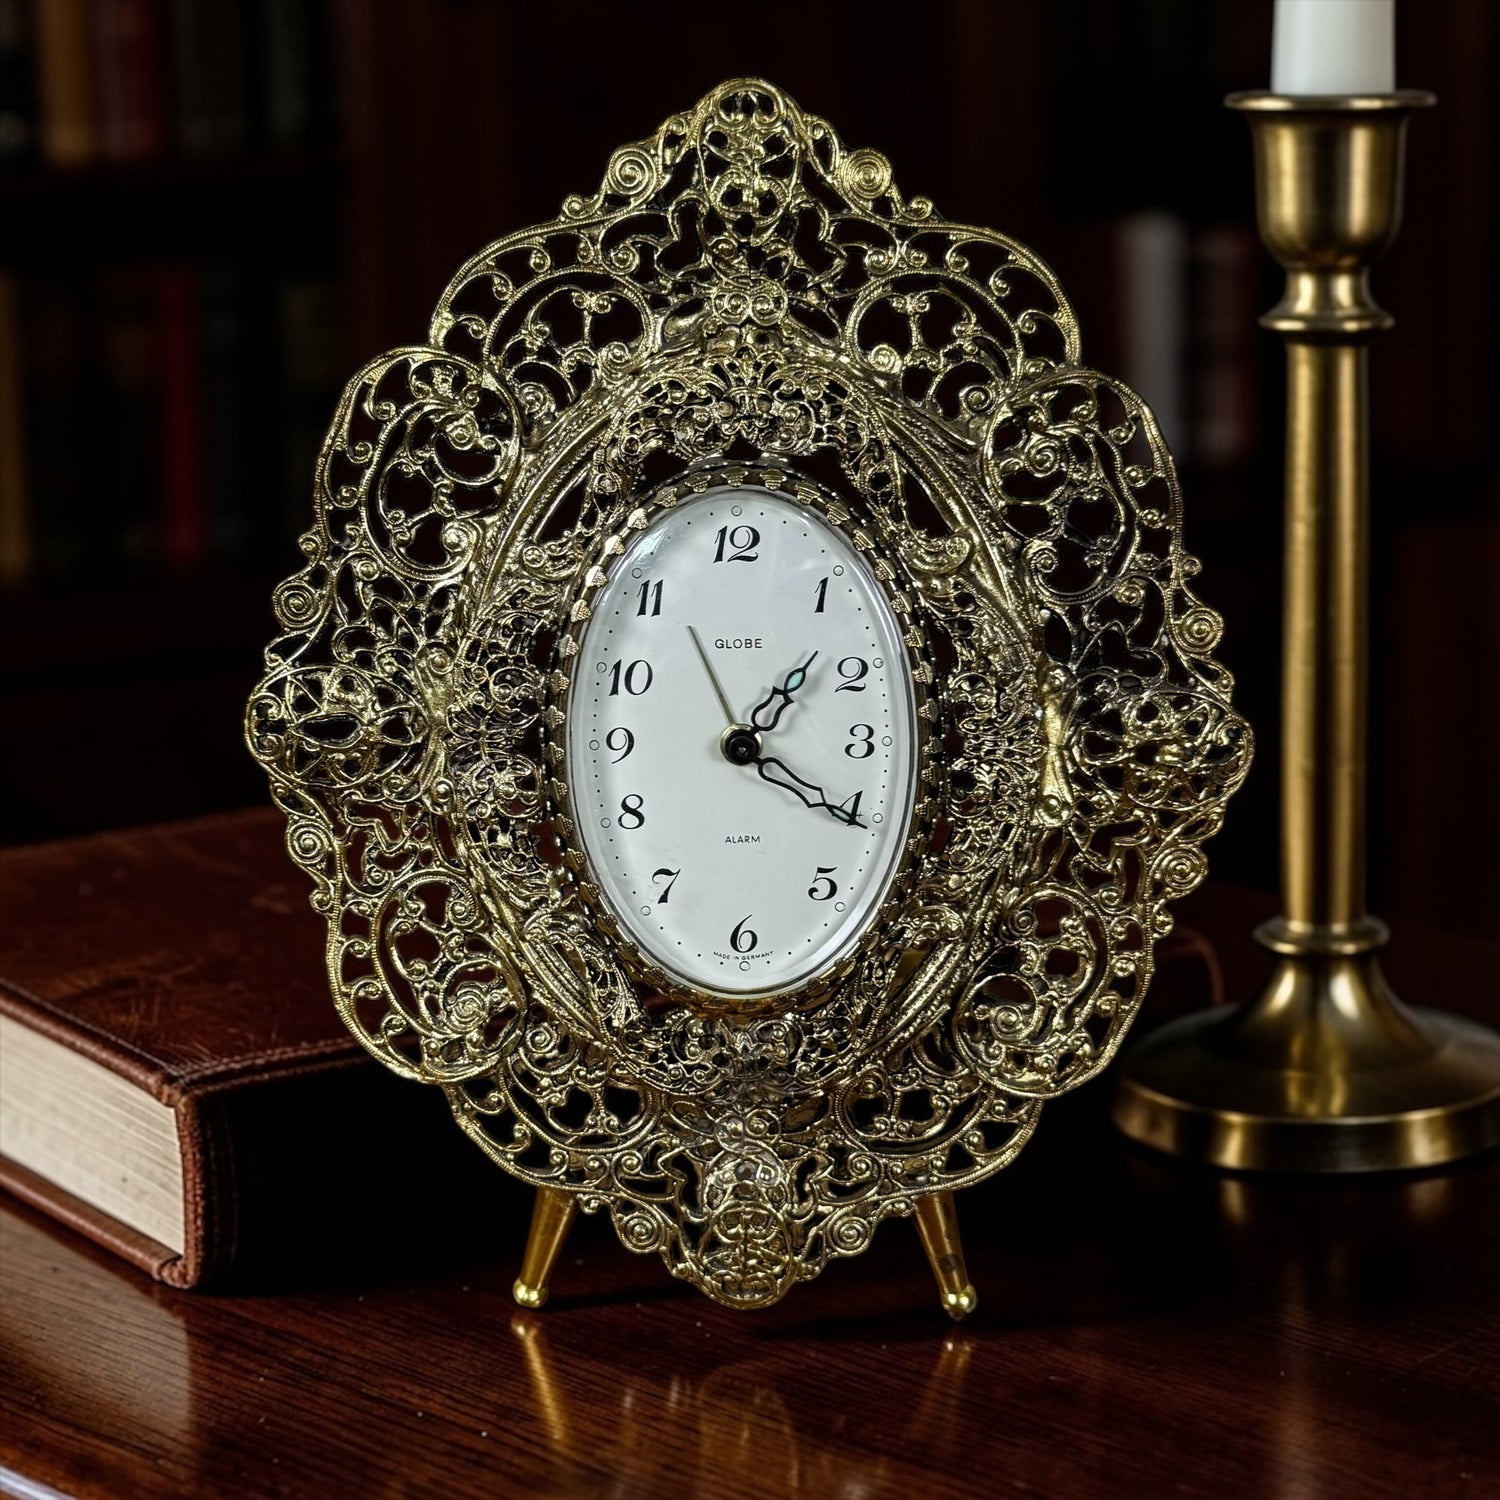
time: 1:18
